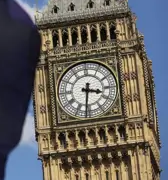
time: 3:31
